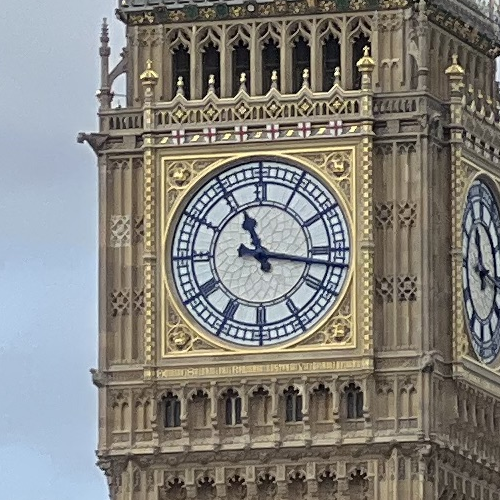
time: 11:16
